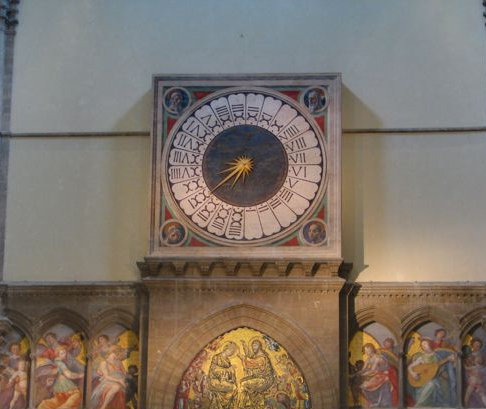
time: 8:38
